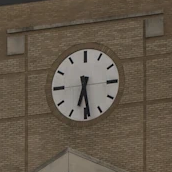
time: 6:28
